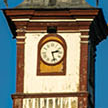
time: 2:27
